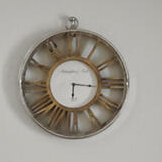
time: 6:15
